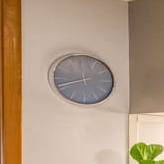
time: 5:41
